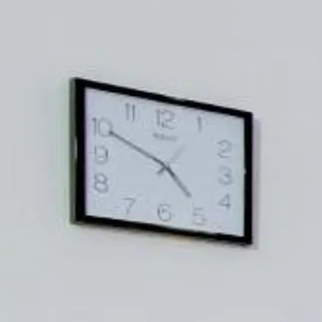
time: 4:49
